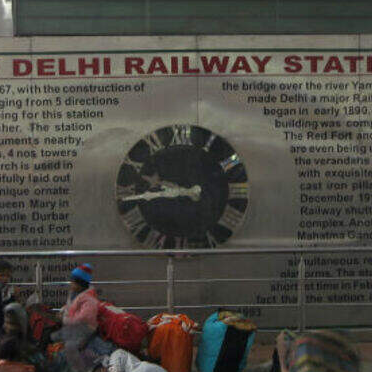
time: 9:43
